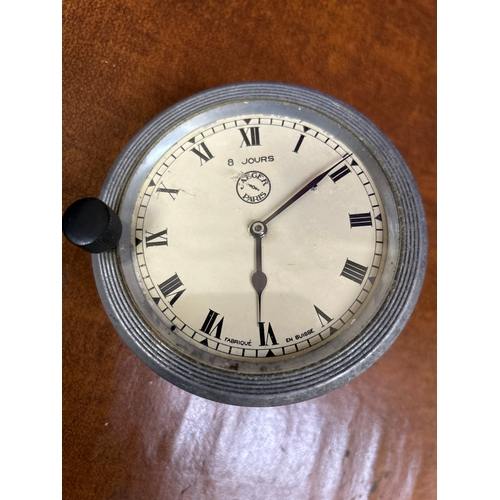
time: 6:09
